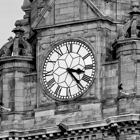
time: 3:23
